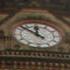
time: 11:52
